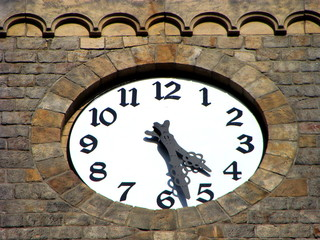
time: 4:27
